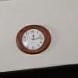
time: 12:13
